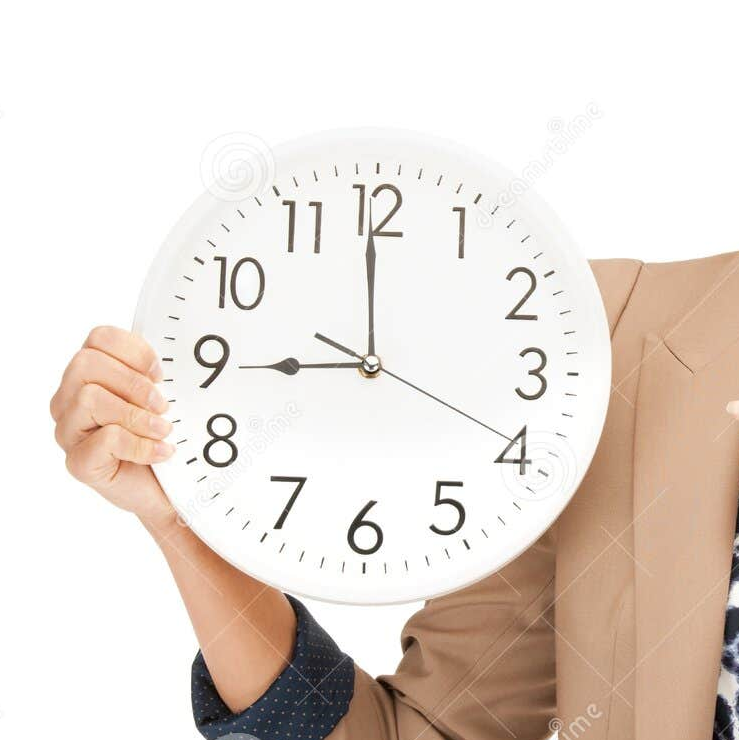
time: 8:59
